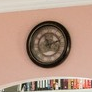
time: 11:12
